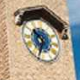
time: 10:34
